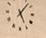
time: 5:07
